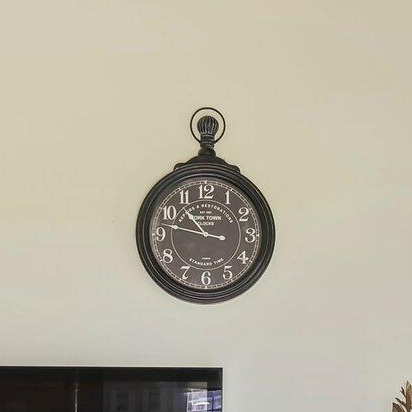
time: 10:47
